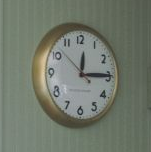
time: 12:14
